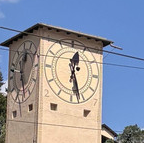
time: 12:26
